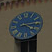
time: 4:13
